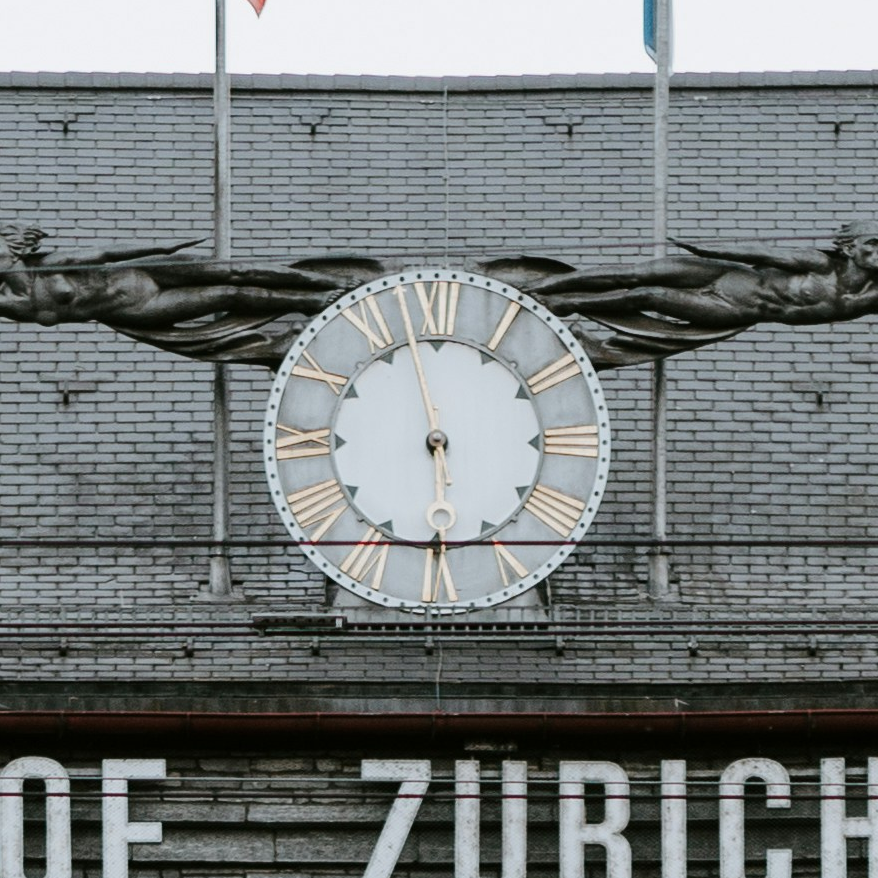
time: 5:58
